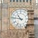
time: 10:46
